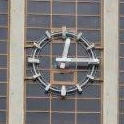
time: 12:14
